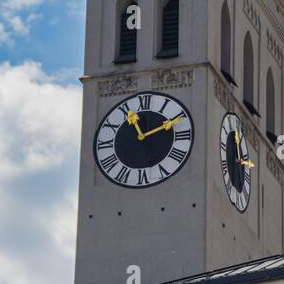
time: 11:10
